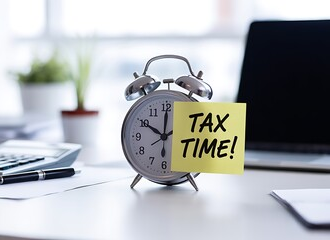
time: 10:00
